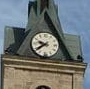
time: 9:39
